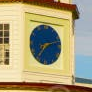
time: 7:12
